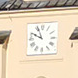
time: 9:56
